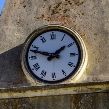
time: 1:47
